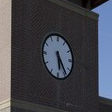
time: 5:23
